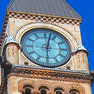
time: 6:02
